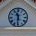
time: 11:31
